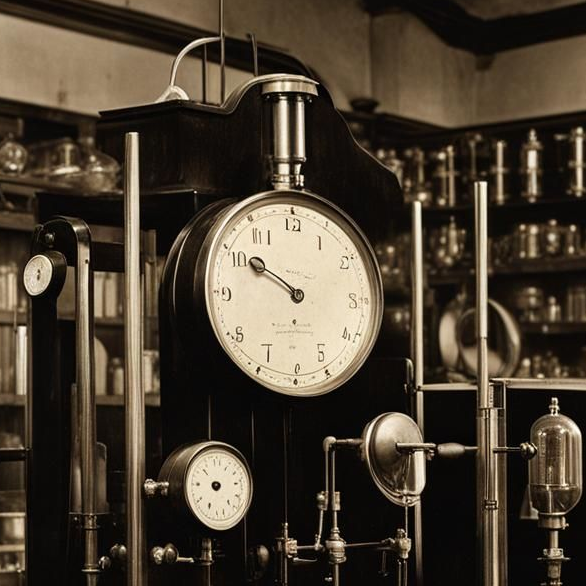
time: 9:50
